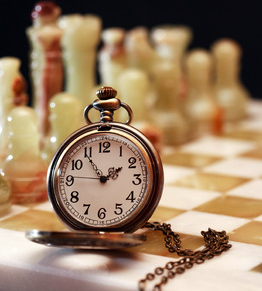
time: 1:54
